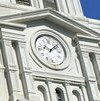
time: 10:07
